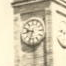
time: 9:33
